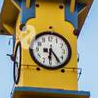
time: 6:23
